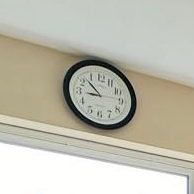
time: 8:52
